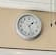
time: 1:26
